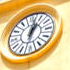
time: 1:02
